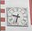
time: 9:33
